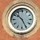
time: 10:25
